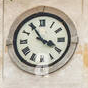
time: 3:54
